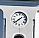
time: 1:38
